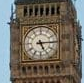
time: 5:14
